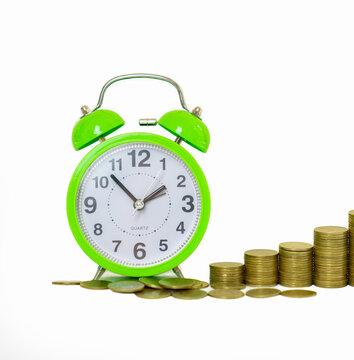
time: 1:52
